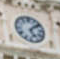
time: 5:08
